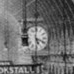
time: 5:18
